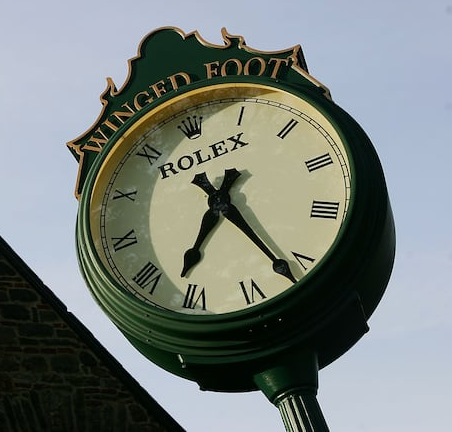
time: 6:21
